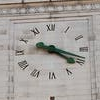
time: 4:18
